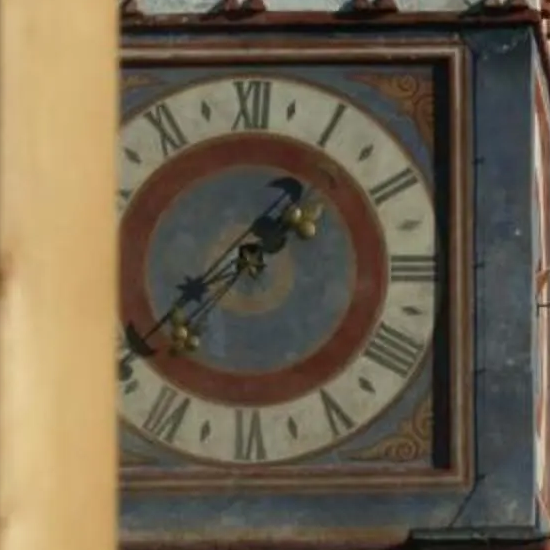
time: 1:39
